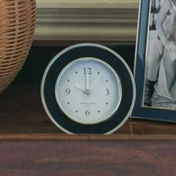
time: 10:00
